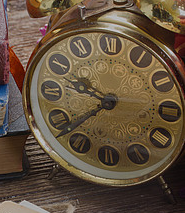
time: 9:38
